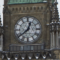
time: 12:38
